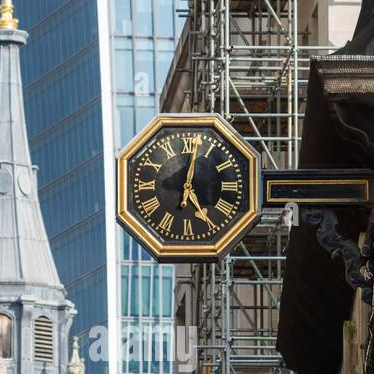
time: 5:01
